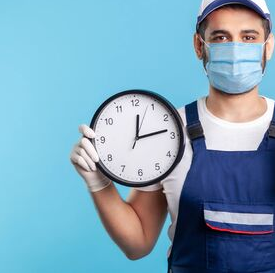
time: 12:13
